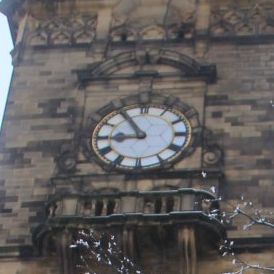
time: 8:54
